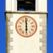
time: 5:59
